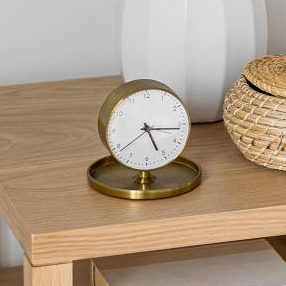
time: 5:16
